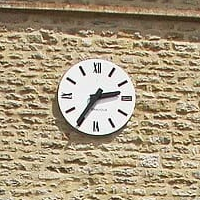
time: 2:35
